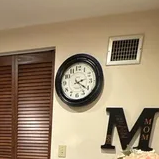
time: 2:21
